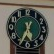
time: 5:34
